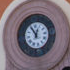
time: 12:55
